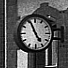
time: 4:56
